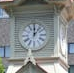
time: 12:06
